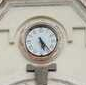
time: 5:23
